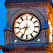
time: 8:34
